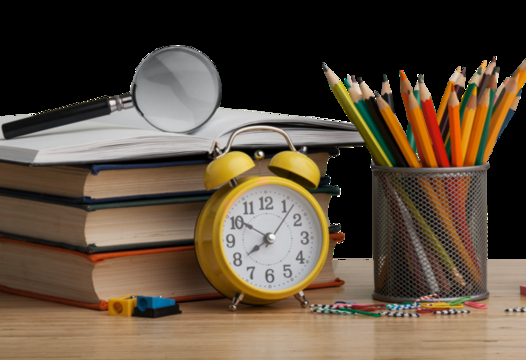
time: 7:50
